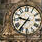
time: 9:36
